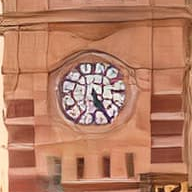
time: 5:24
